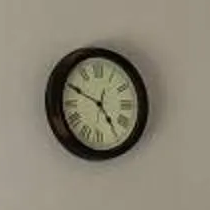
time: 4:49
